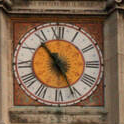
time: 4:53
